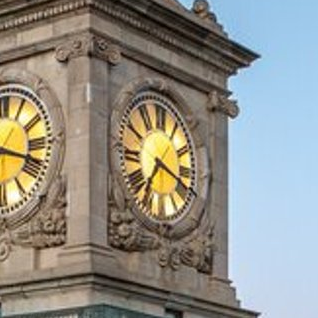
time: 7:18
